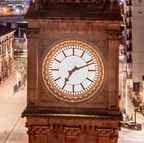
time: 7:11
